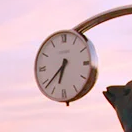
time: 6:38
